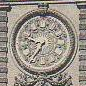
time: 9:35
